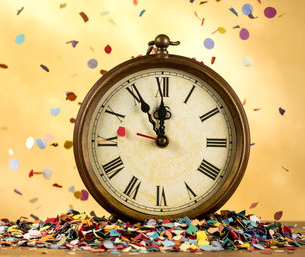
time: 11:55
